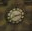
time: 2:40
